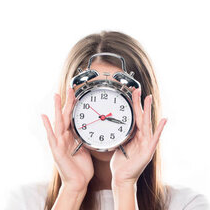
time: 3:17
